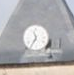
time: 11:35
